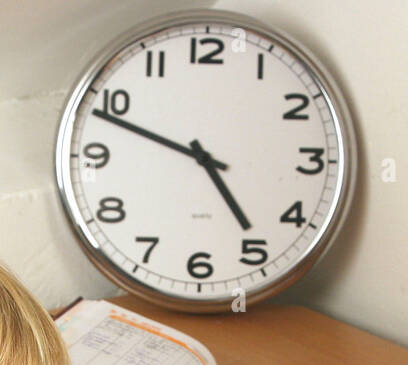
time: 4:48
